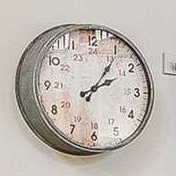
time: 2:06
